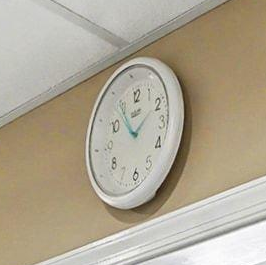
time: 1:54
